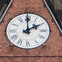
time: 2:00
